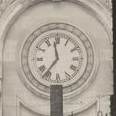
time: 11:36
